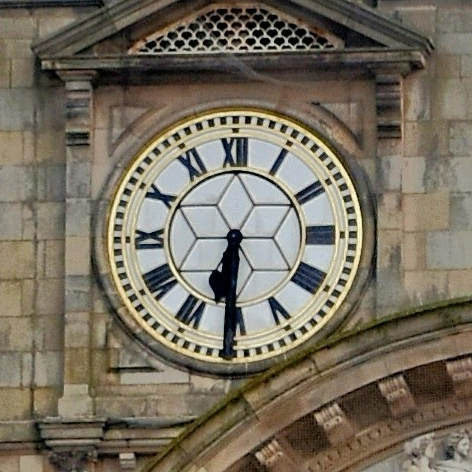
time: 6:30
